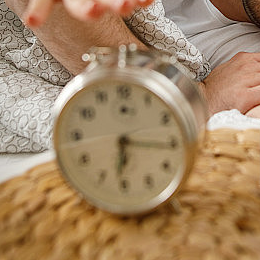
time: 6:15
